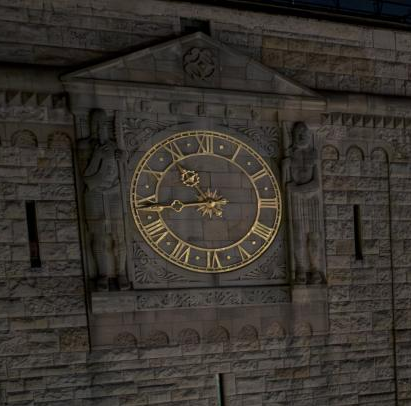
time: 8:53
